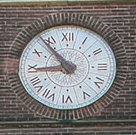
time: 8:53
